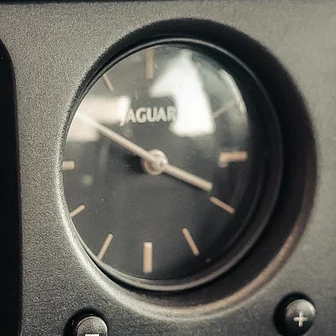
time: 3:50
